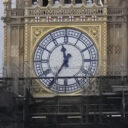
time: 11:35
